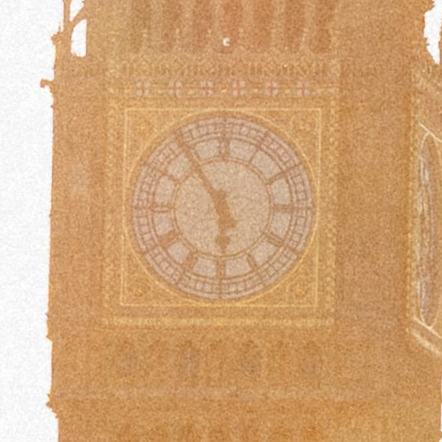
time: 5:54
